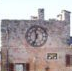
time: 11:33
